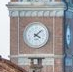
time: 4:08
